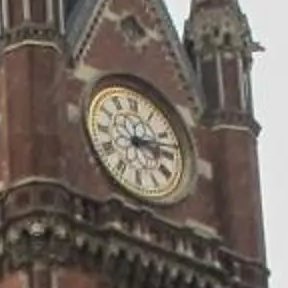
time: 3:12
